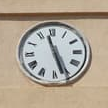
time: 11:26
